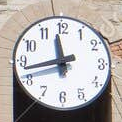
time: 11:42
